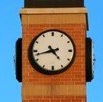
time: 4:42
